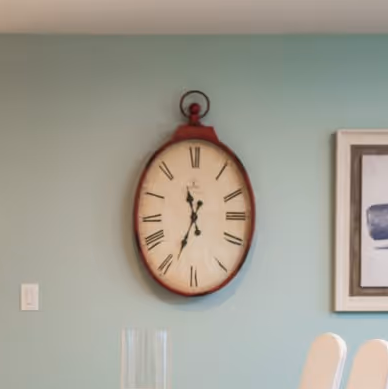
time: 11:33
